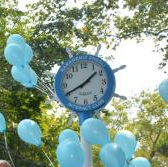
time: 1:40
